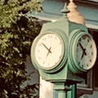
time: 6:52
